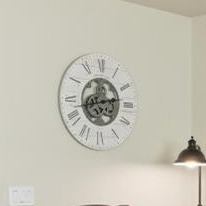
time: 2:42
